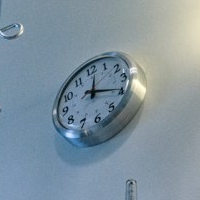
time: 12:19
